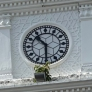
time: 10:30
